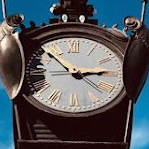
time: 2:52
